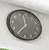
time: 11:35
